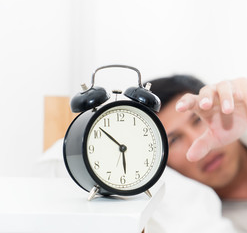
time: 5:52
